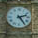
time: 2:24
